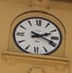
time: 2:18
